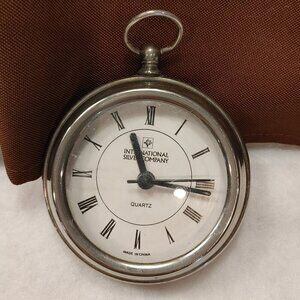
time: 11:15
